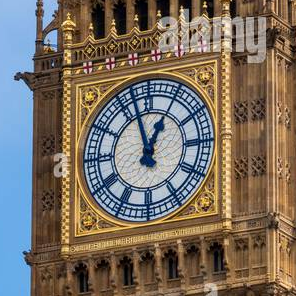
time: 12:57
